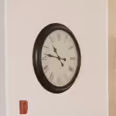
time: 10:46
